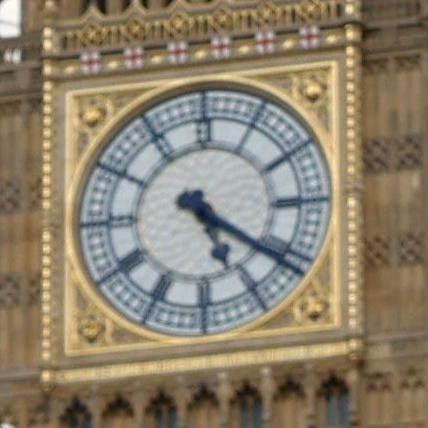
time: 5:20
